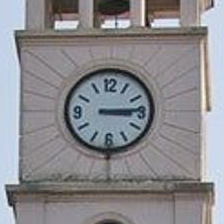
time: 3:14
